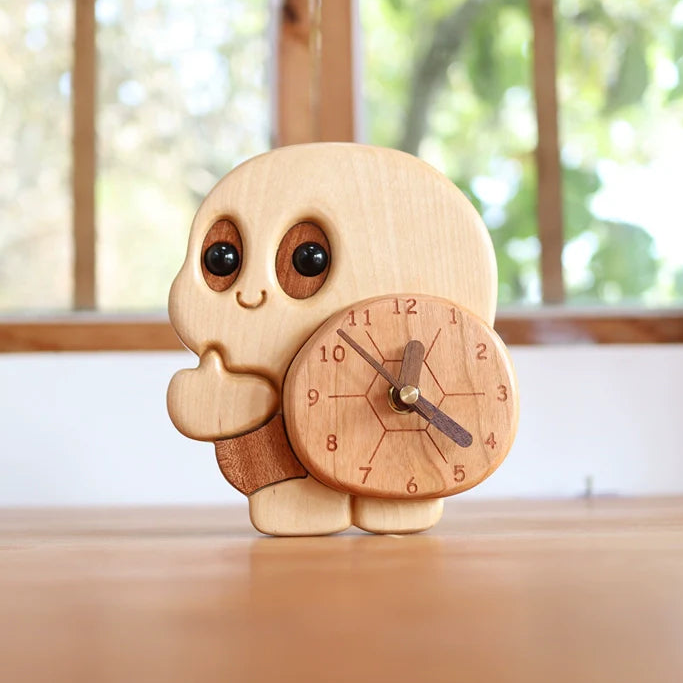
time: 4:21
